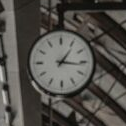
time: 1:16
